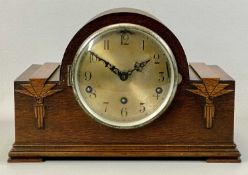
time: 1:51
